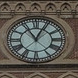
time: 11:04
